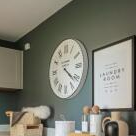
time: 4:21
